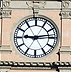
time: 9:13
